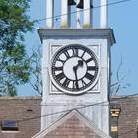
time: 1:28
